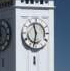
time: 11:32
